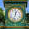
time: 12:32
